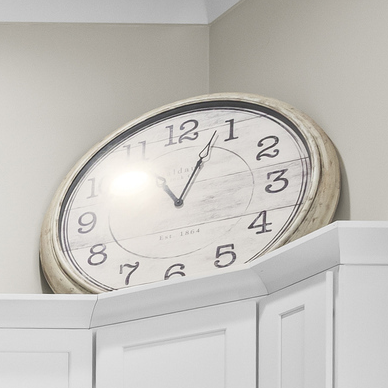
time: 1:03
